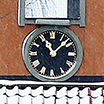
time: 11:07
